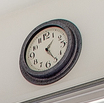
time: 1:24
